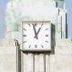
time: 12:58
